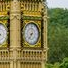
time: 7:00
